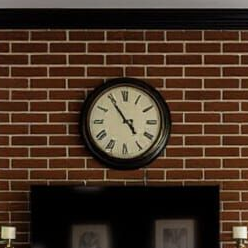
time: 4:54
